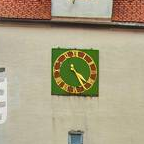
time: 4:25
